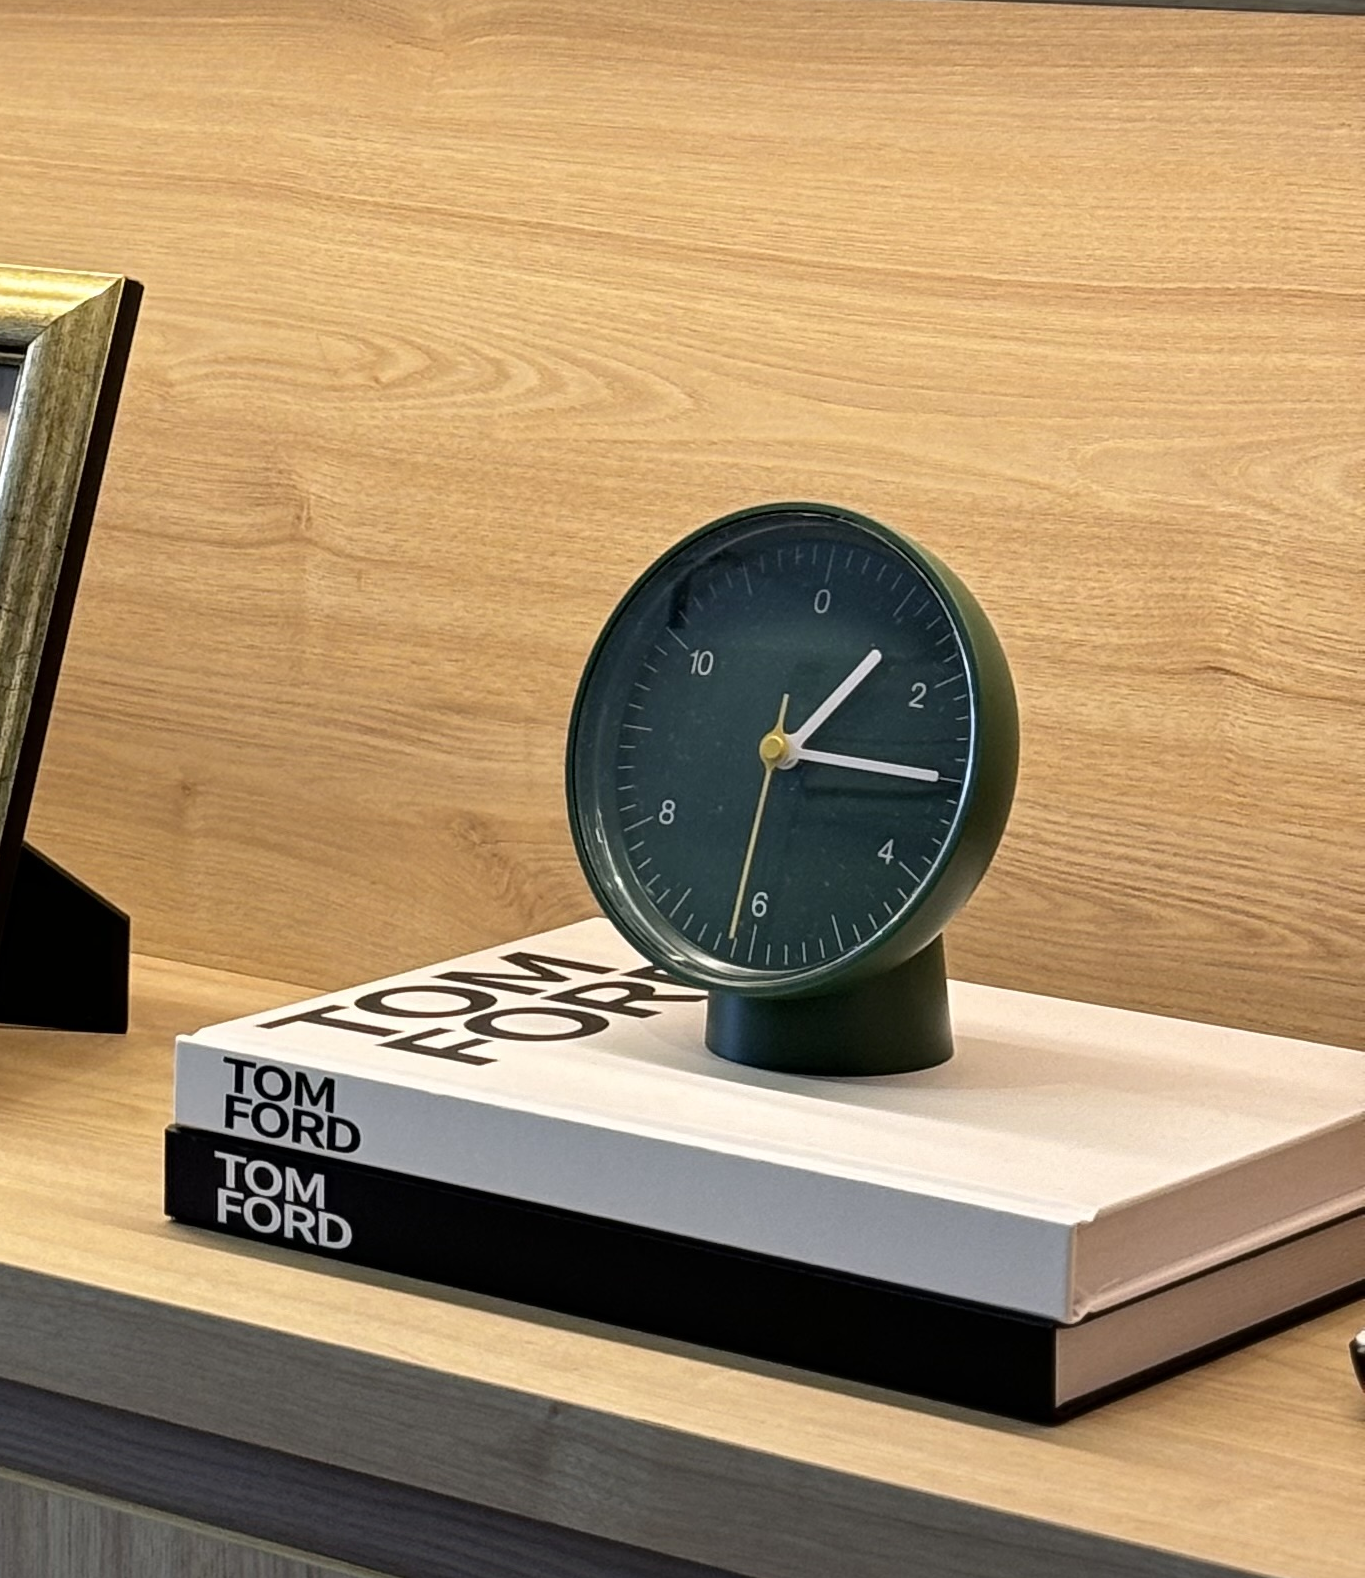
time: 1:14
